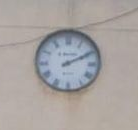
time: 2:10
